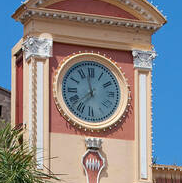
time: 11:37
